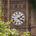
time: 2:21
